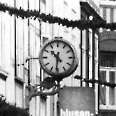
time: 10:31
